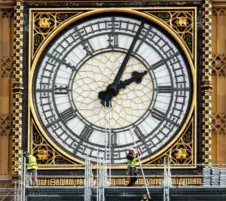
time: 2:04
